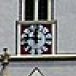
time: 11:46
